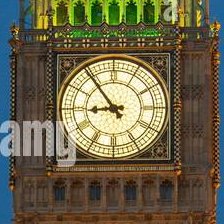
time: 8:53
